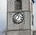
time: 12:37
